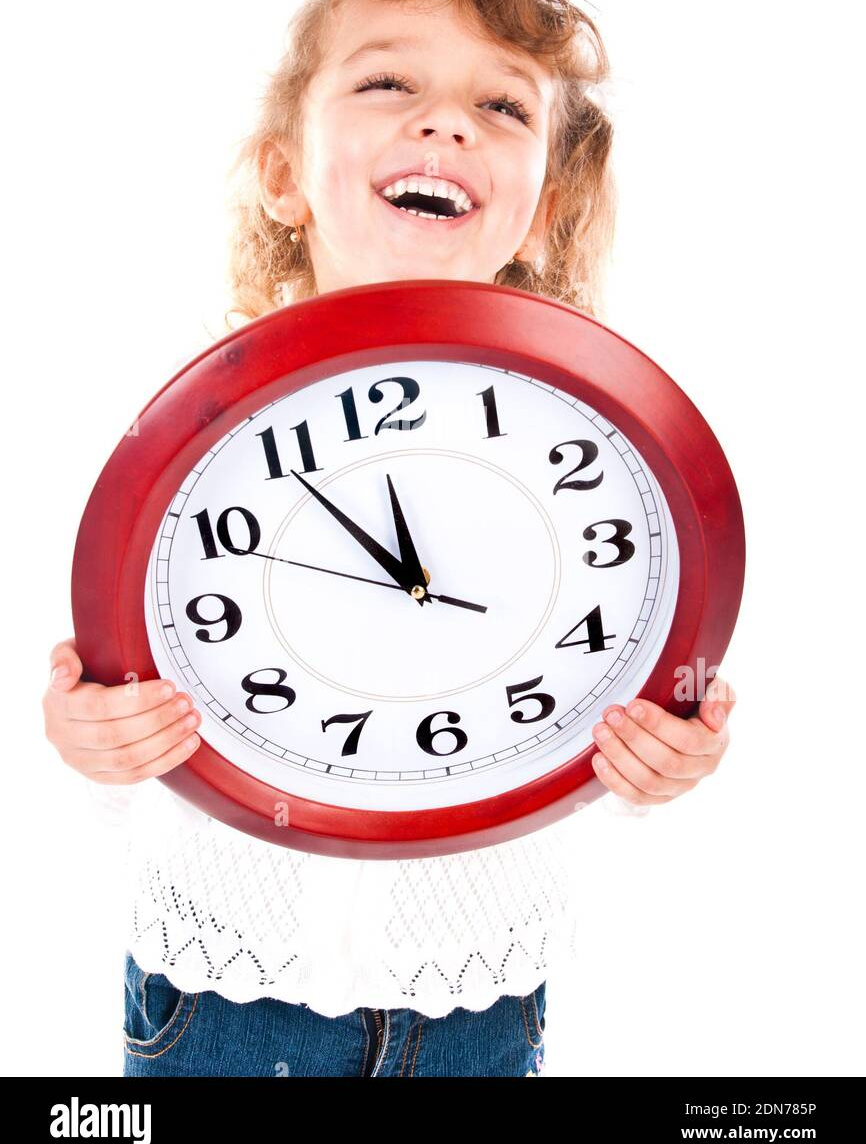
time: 11:54
